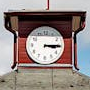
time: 3:14
